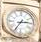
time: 2:35
